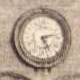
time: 5:12
